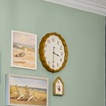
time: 3:30
